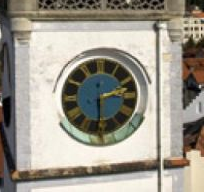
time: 2:29
